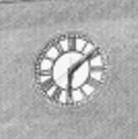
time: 6:08
